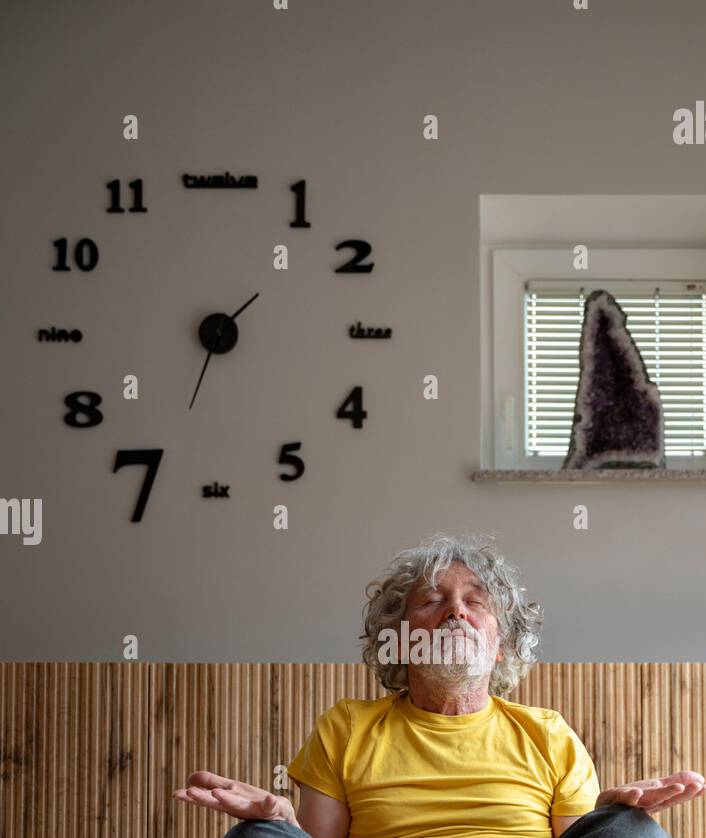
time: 1:33
